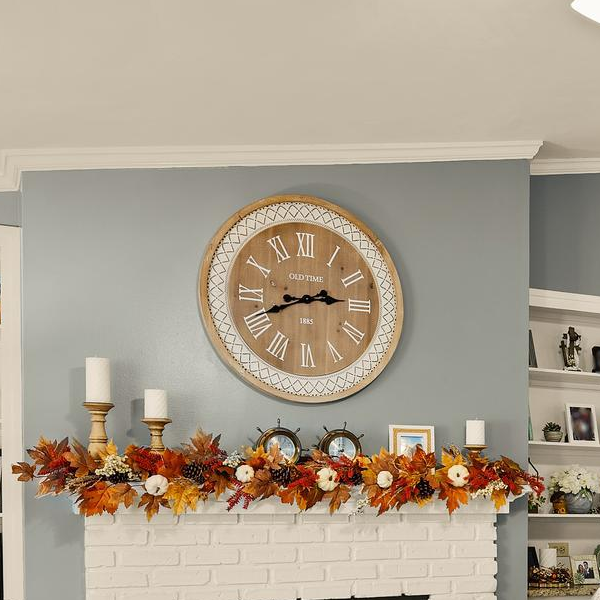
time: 2:41
